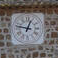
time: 12:47
